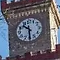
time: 10:30
